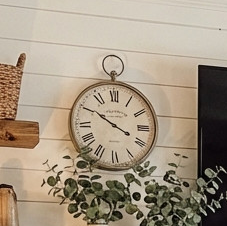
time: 3:50
